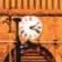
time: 2:18
